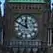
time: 11:49
